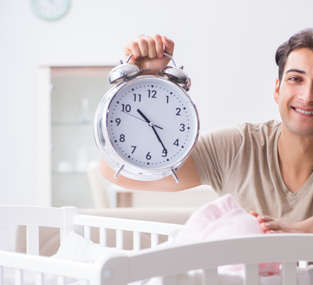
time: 10:24
